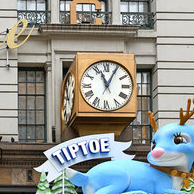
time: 11:04
